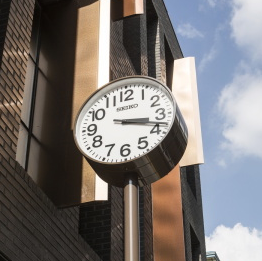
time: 3:18
